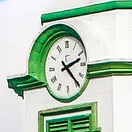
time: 2:23
